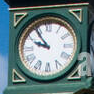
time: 9:54
